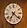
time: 7:21
